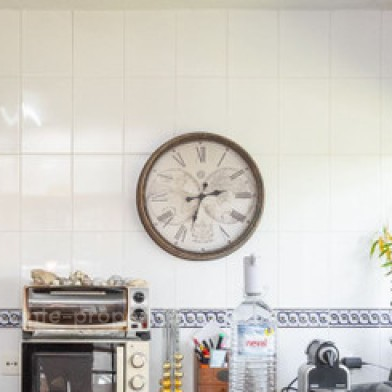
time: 2:32
